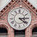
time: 4:14
